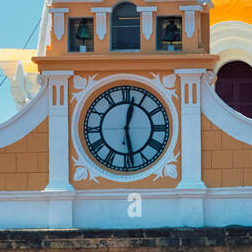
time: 12:28
